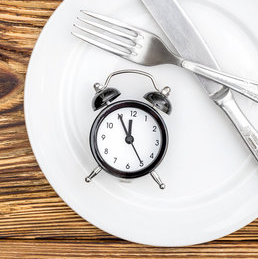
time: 11:55
